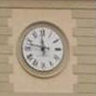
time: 11:47
